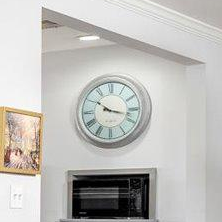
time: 10:17
